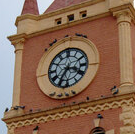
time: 3:34
